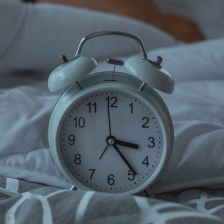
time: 3:23
